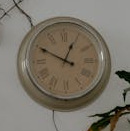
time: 12:49
